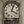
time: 4:03
